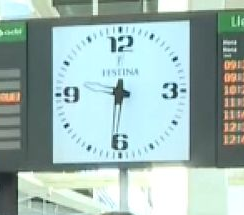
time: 9:31
